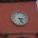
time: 3:26
